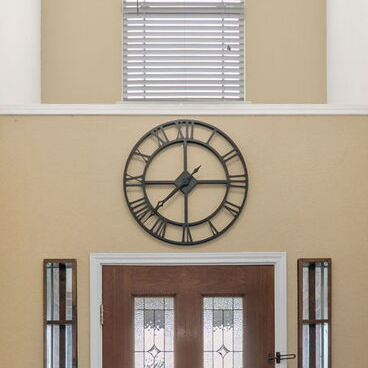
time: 7:44
